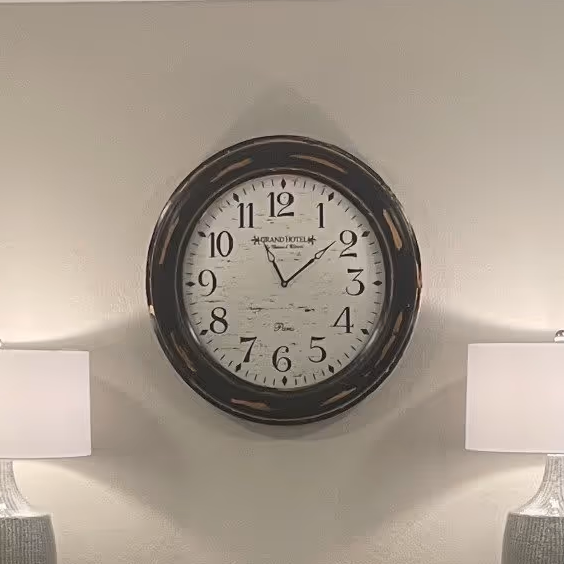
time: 11:08
